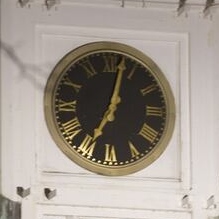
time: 7:02
